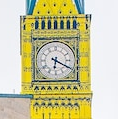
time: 6:19
